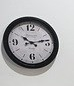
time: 10:12
